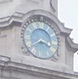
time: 3:40
